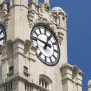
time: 12:46
